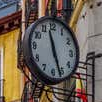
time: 11:26
